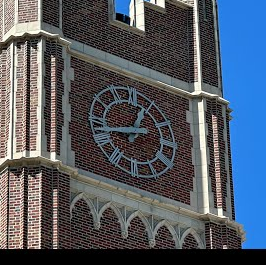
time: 12:43
